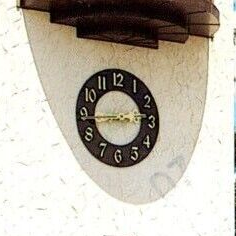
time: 8:44
